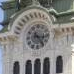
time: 3:23
